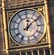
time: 12:09
